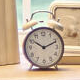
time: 10:11
